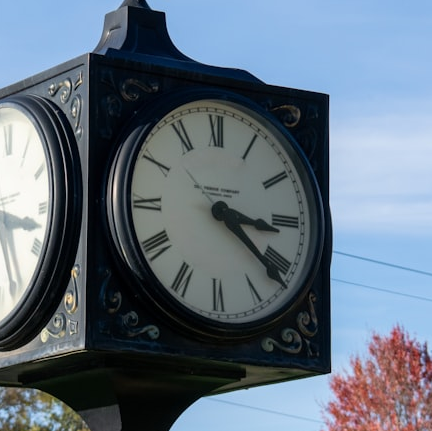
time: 3:21
